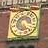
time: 5:18
